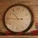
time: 10:45
